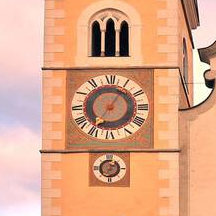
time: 7:05
